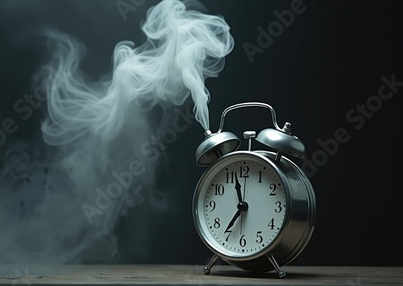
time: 11:36
